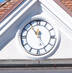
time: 11:54
